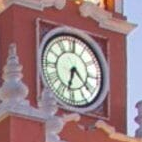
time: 6:21
